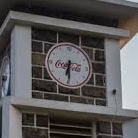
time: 6:29
